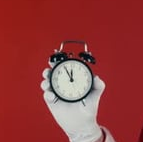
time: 11:55
